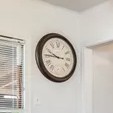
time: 9:45
